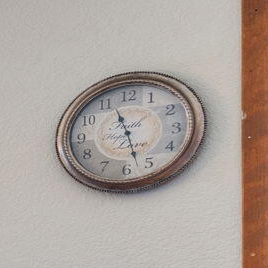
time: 11:27
